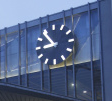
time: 8:54
